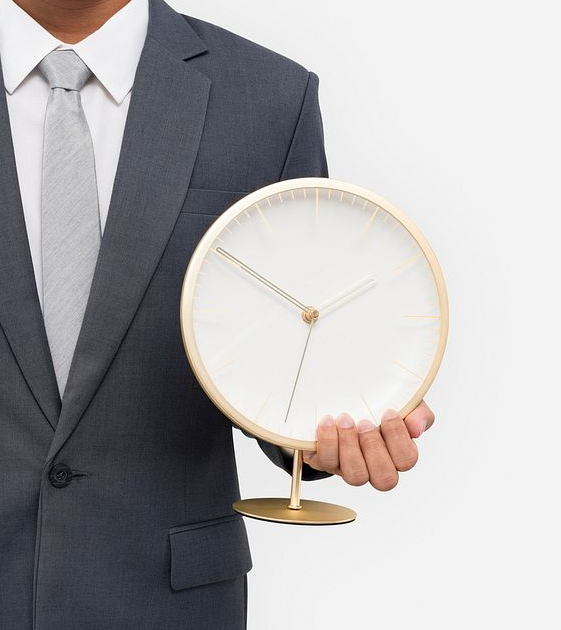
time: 1:50
